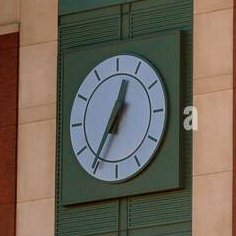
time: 12:35
